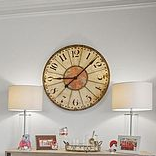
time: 9:07
